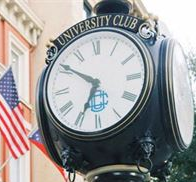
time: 6:50
